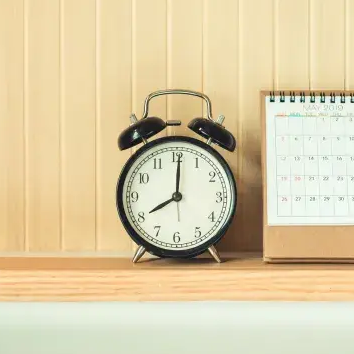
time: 8:00
